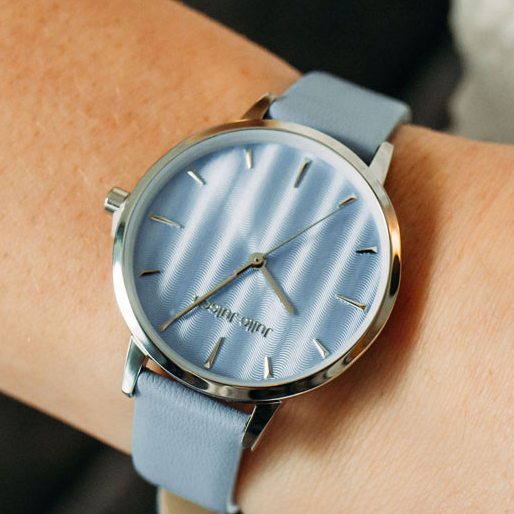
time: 12:39
